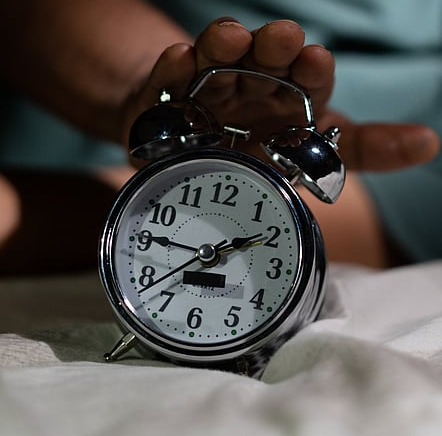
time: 1:46
